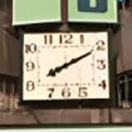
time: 8:10
